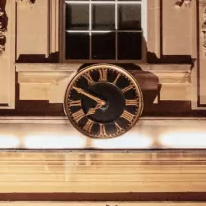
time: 7:49
